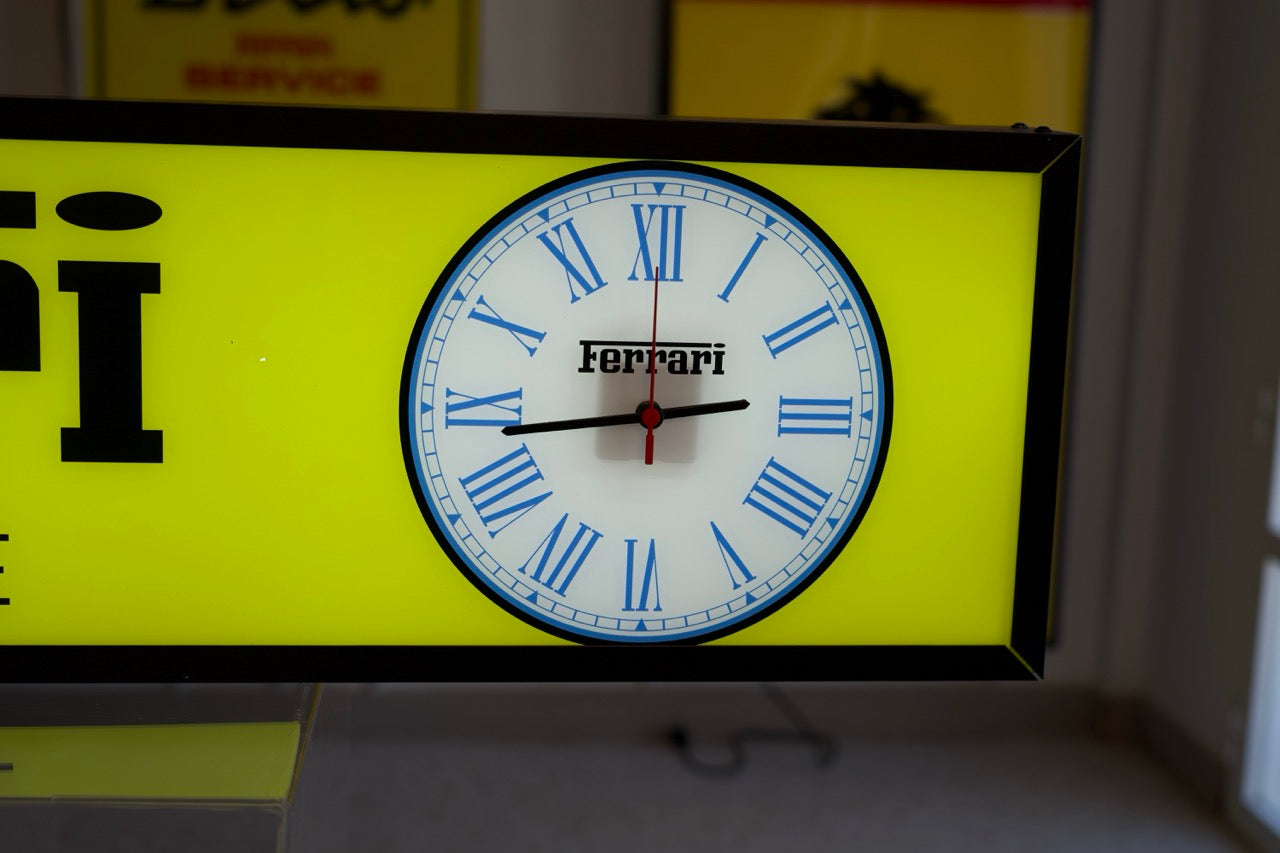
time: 11:43
